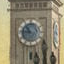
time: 10:45
